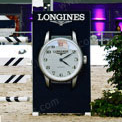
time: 4:10
